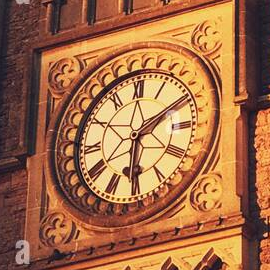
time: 6:10
